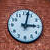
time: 3:02
